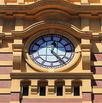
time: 12:23
